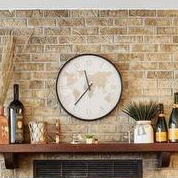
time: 11:36
